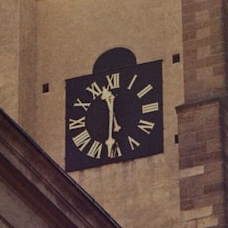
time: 11:31
